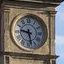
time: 9:28
